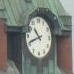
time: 10:41
